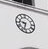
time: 9:33
